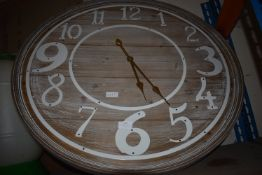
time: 5:24
